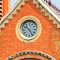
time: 10:24
